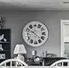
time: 10:22
